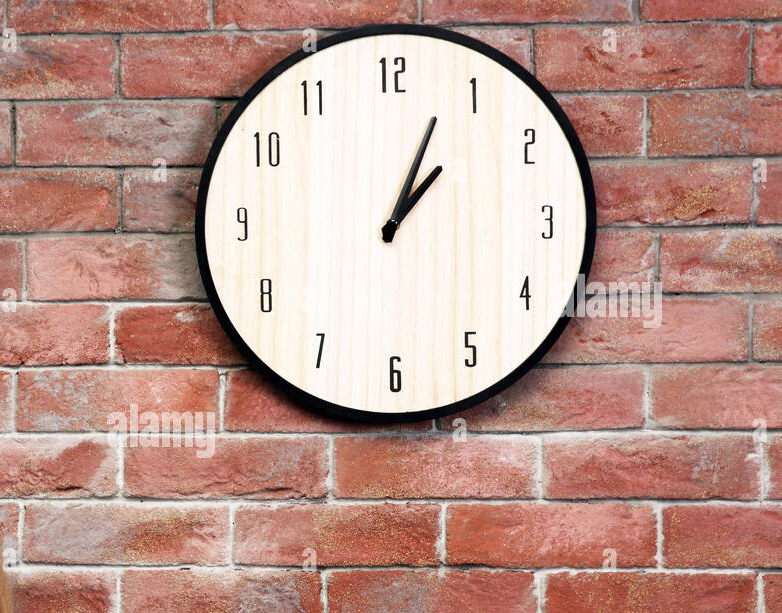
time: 1:03
